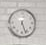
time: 5:26
